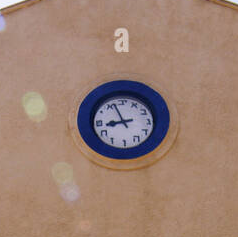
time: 8:56
